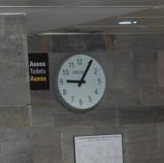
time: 9:05
